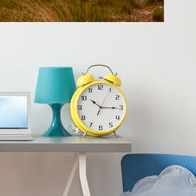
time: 10:15
